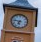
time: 6:47
